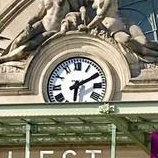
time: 6:10
